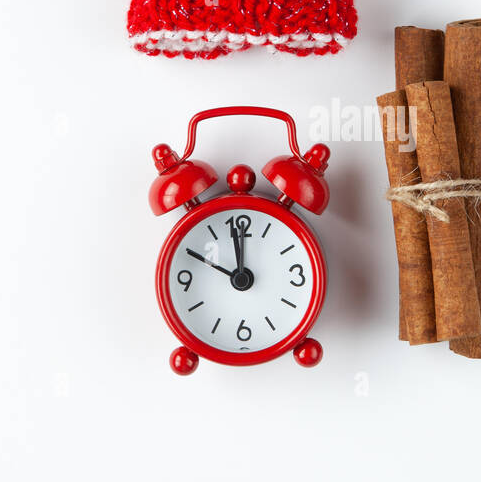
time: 11:49
